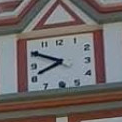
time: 7:49
